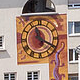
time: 11:19
